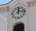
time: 12:13
